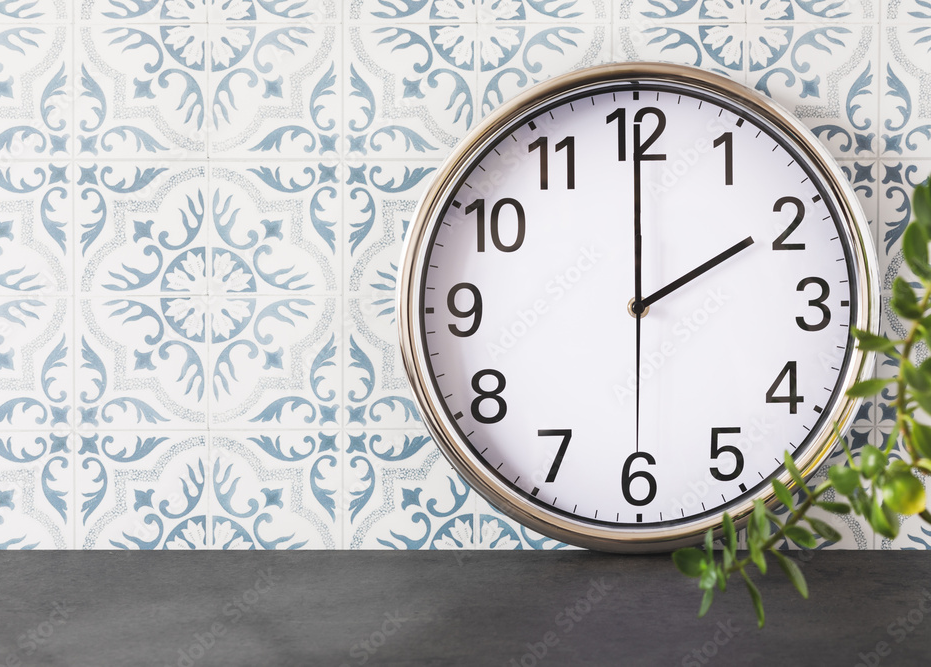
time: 2:00
